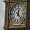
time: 12:22
